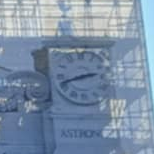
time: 2:42
